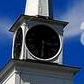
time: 3:30
